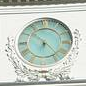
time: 6:23
